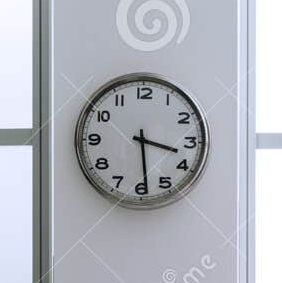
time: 3:29
